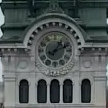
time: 1:11
